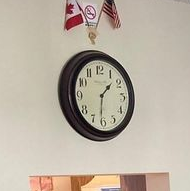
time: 1:31
